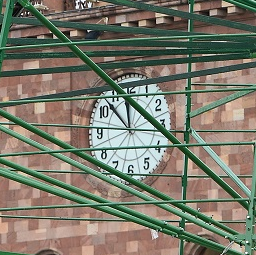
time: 11:52
